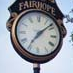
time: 7:08
